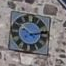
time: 10:12
